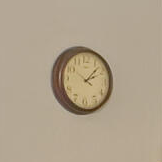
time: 2:07
